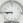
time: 8:45
